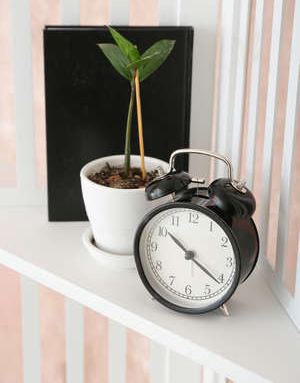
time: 10:21
